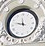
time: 11:47
